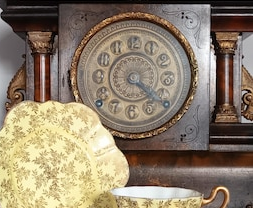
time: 4:21
